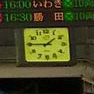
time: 1:45
